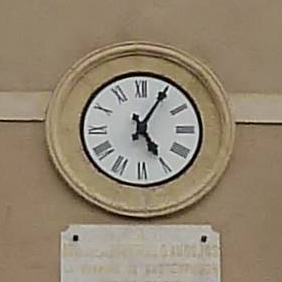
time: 5:05
